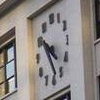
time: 4:50
